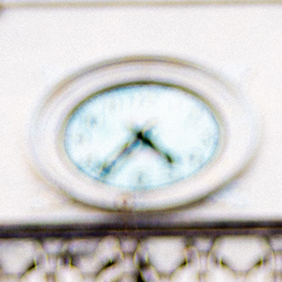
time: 4:36
